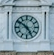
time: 4:50
